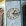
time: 1:16
